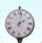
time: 2:01
